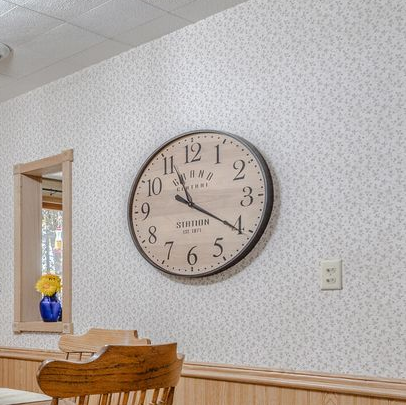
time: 11:20
